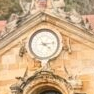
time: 4:13
